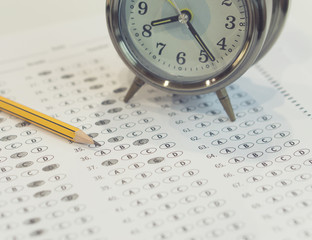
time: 8:23
